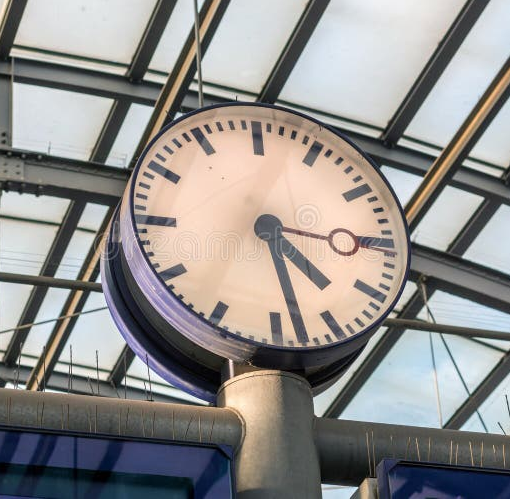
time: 4:28
